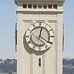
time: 12:20
